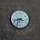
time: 3:42
